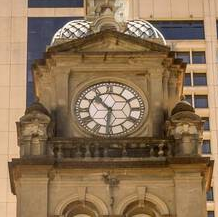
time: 10:31
